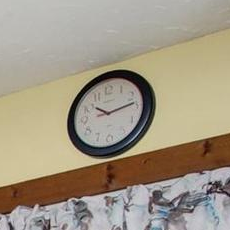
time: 10:13
